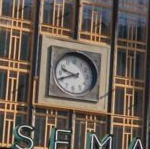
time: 9:41
